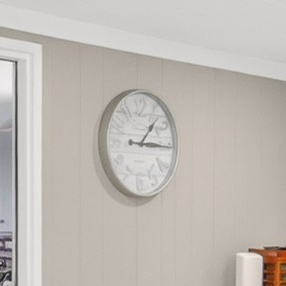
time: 1:15
